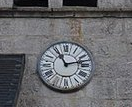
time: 11:12
